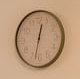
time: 12:32
